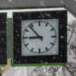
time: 8:53
